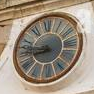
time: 8:47
